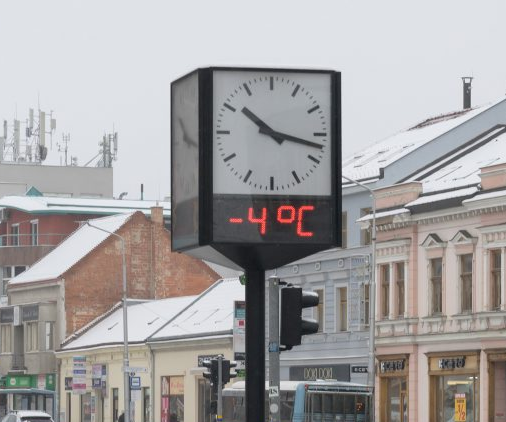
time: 10:17
